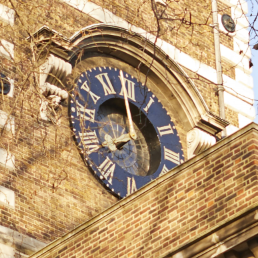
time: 7:58
